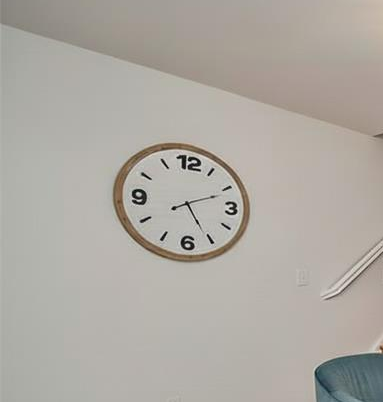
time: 5:11
